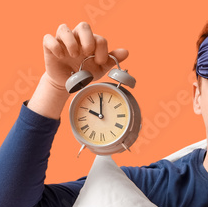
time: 10:00
